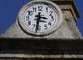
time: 3:31
